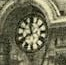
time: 11:40
